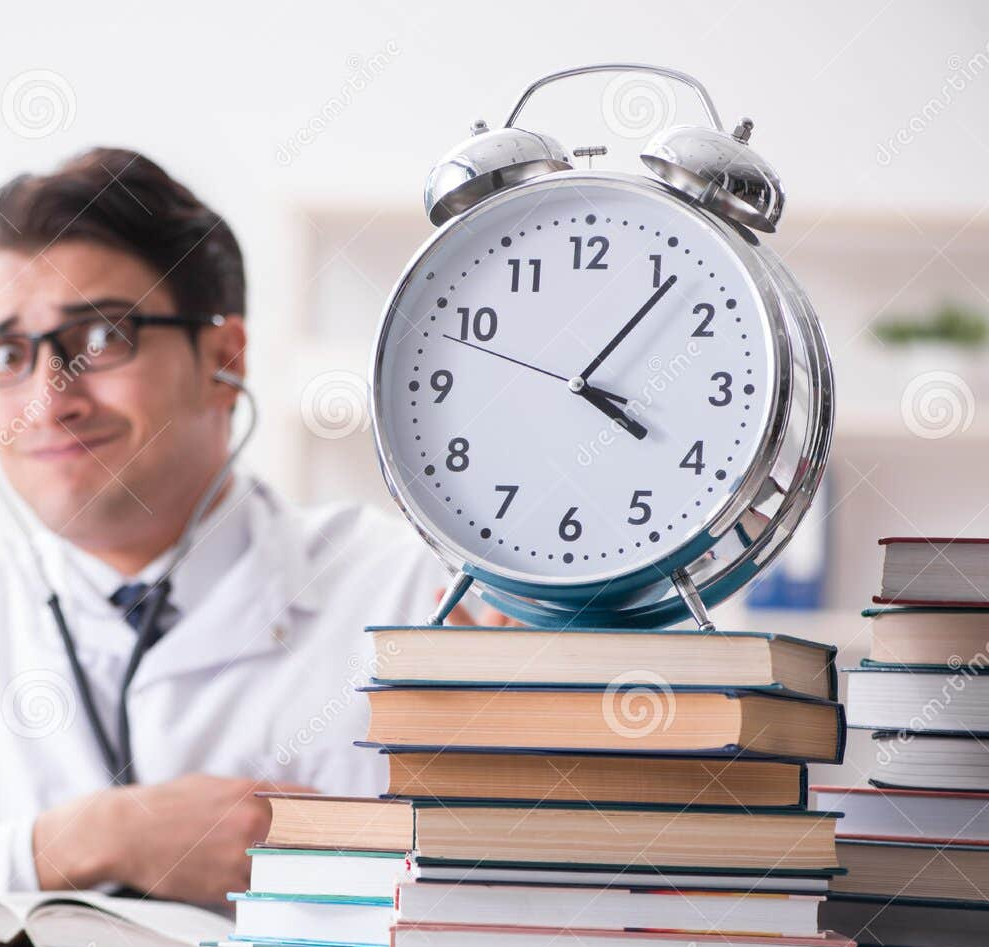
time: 4:06
